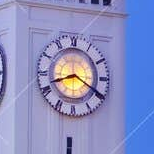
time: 8:19
